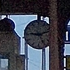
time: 9:12
